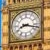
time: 8:17
